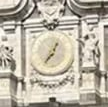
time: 7:03
